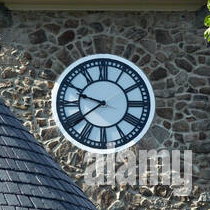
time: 9:38
